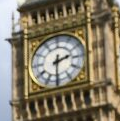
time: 2:30
